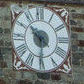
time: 10:30
